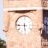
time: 5:45
